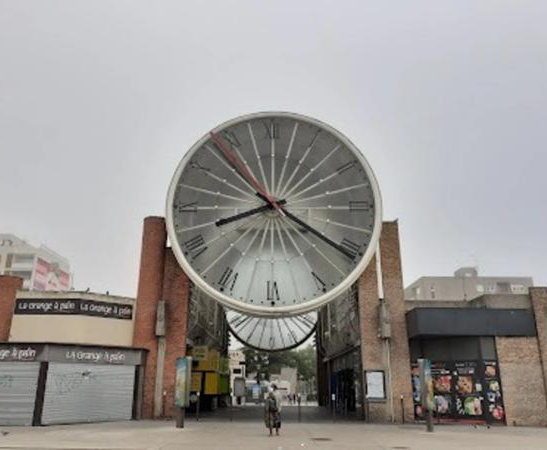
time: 8:20
